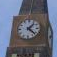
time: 1:22
